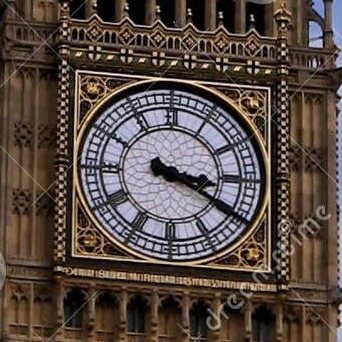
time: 3:20
